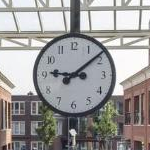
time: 9:08
